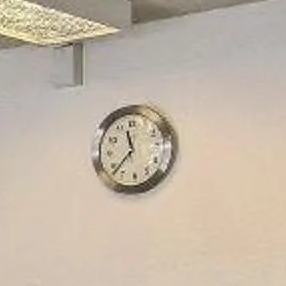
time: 11:37
